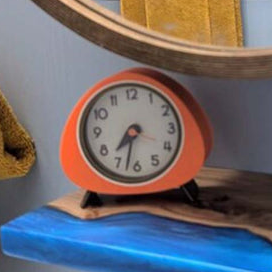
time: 7:32
